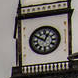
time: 12:49
